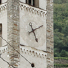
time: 5:11
